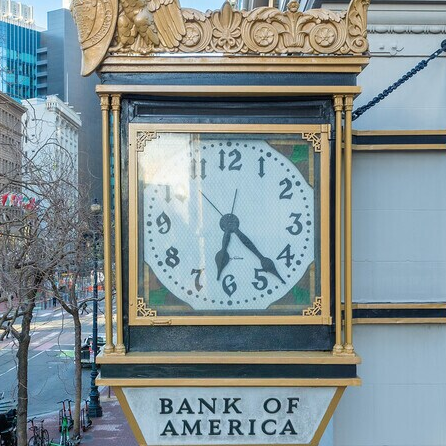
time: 6:22
